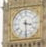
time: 3:29
